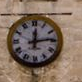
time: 12:13
